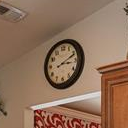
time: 3:11
